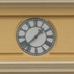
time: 1:37
